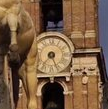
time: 7:26
